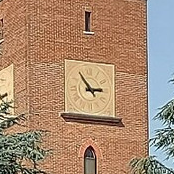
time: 2:54
